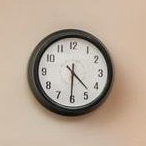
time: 4:30
